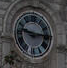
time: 9:14
